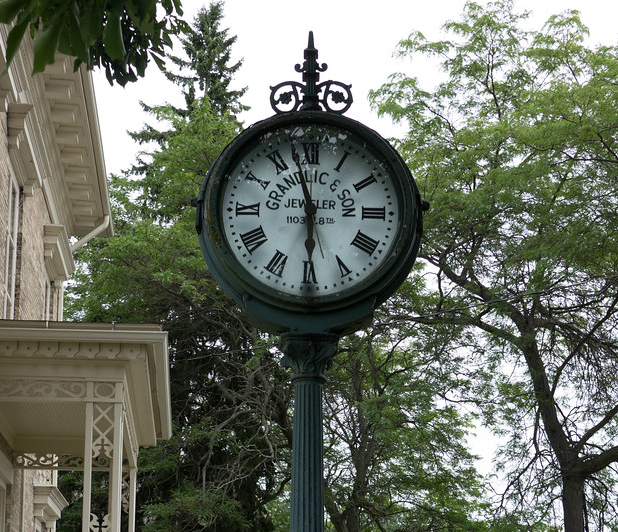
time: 5:57
